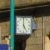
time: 4:59
